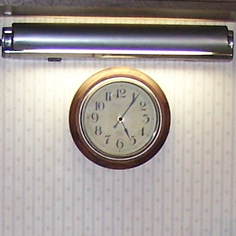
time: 5:06
